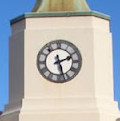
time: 2:27
